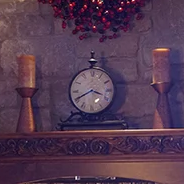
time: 3:40
